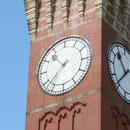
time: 10:37
